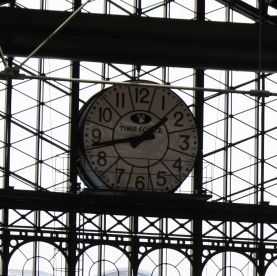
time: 1:43
